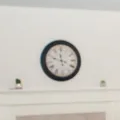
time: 11:48
